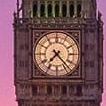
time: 7:23
